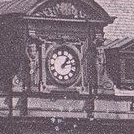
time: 1:13
